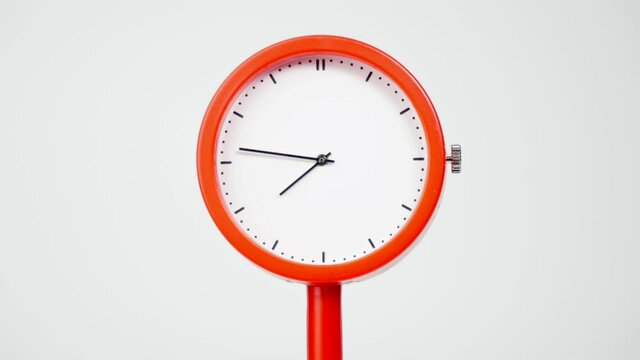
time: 7:46
